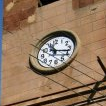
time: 11:17
